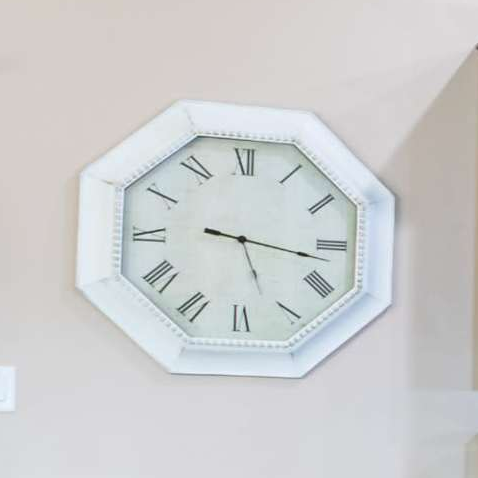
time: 5:16
